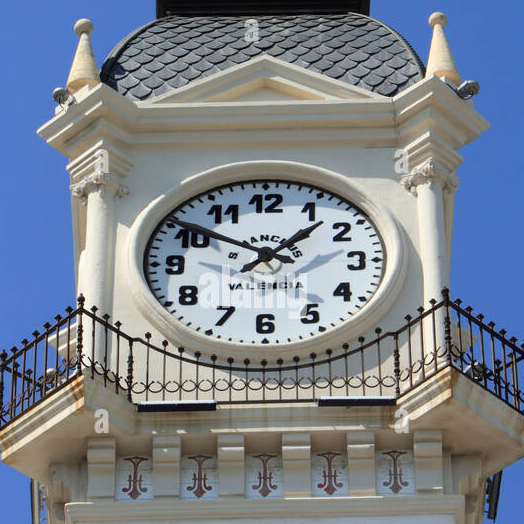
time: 1:50
